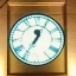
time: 12:35
